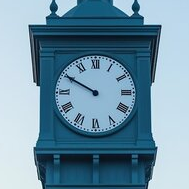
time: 9:49
